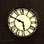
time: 5:49
